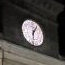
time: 1:32
